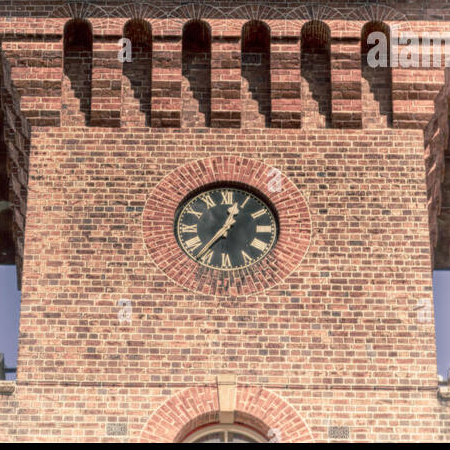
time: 12:36
